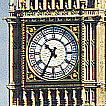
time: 10:34
